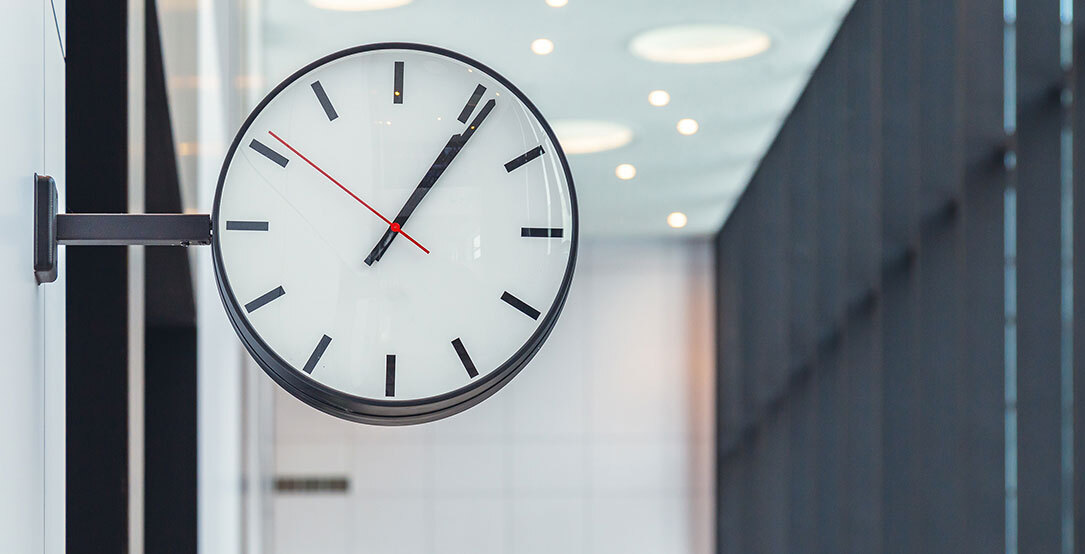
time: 1:06
